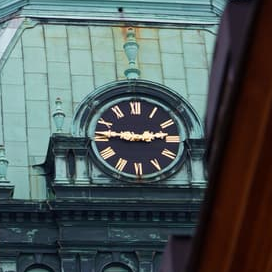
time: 2:46
